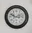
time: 2:48
